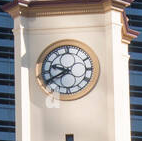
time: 9:40
